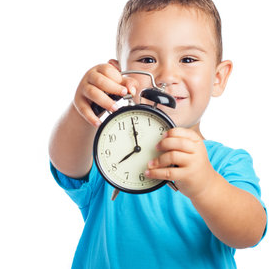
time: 7:59
